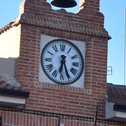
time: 6:26
